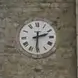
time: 2:30
